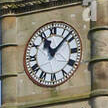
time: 11:07
